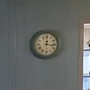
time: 12:16
